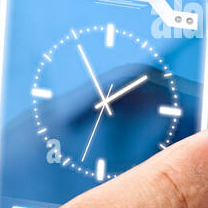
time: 1:55
